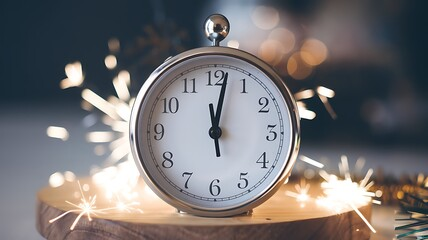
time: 12:01
